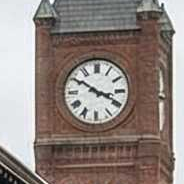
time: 3:50
